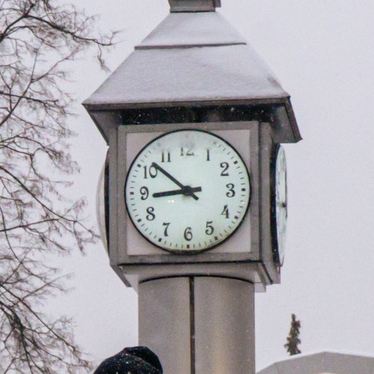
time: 8:51
